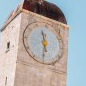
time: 11:30
